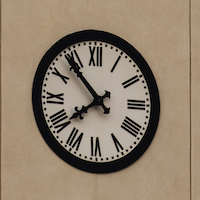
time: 7:53
